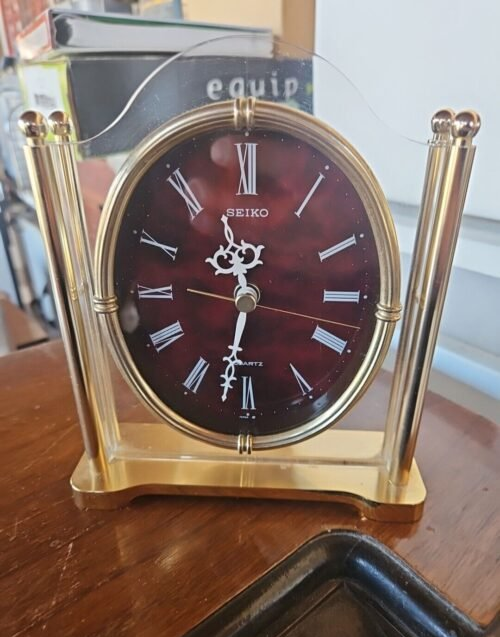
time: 11:32
